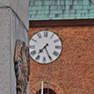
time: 7:25
